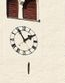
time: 1:55
